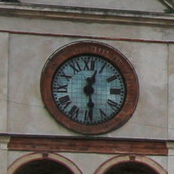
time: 12:28
